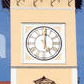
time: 5:01
